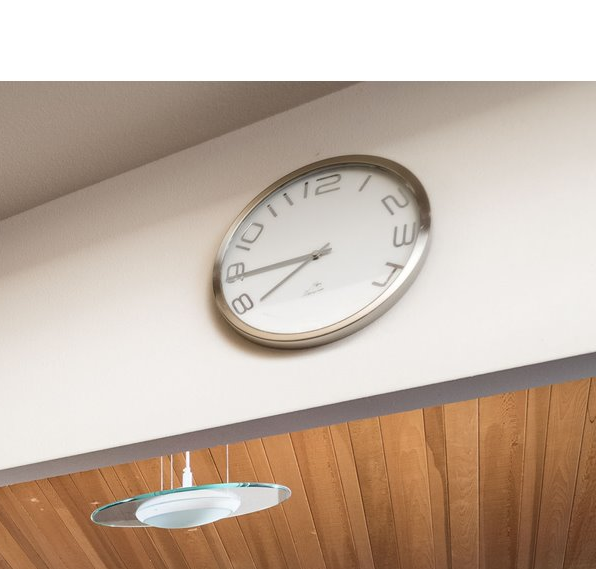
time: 7:44
